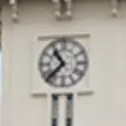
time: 10:37
